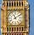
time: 11:09
